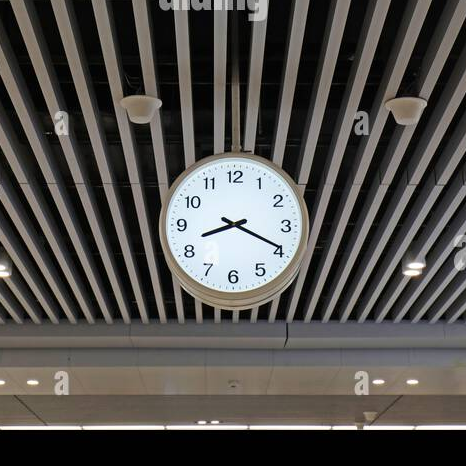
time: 8:19
